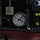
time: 4:07
